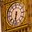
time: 6:32
